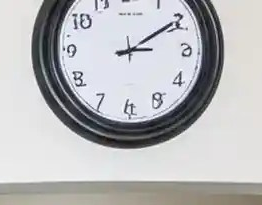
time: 2:09
